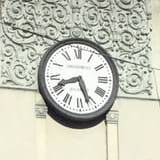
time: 8:26
